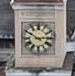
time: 2:50
